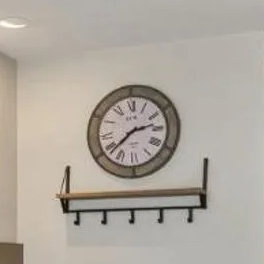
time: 2:38
